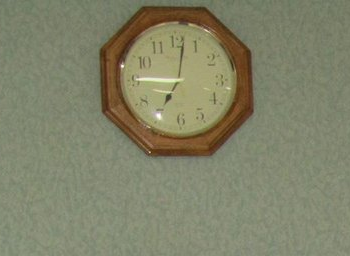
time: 9:01
